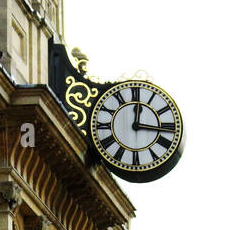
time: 12:16
